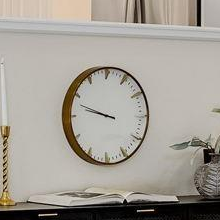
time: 9:47
